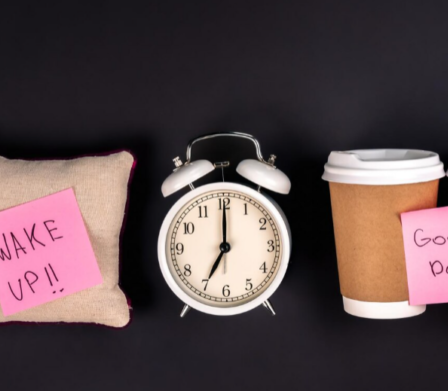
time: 7:00
